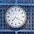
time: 7:20
